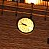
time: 9:45
